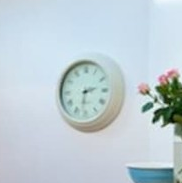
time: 2:31
